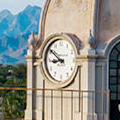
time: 8:50
